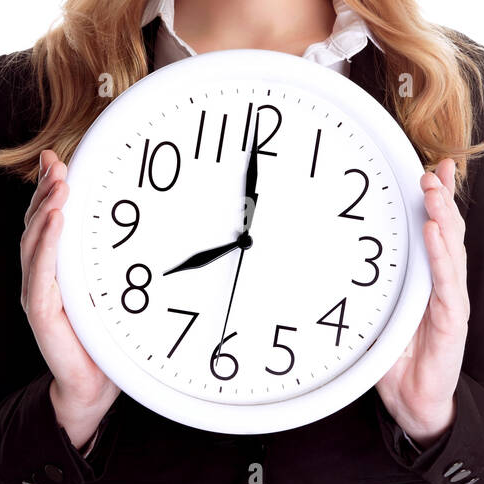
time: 7:59
